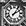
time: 2:06
